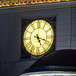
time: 5:18
